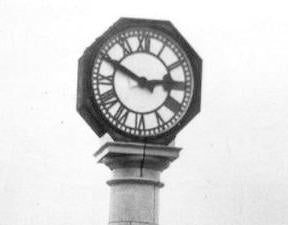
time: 2:49
